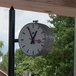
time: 12:55
